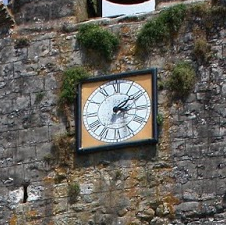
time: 3:09
